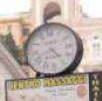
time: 4:40
